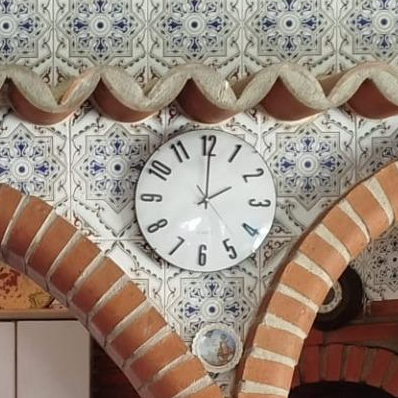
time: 2:00
